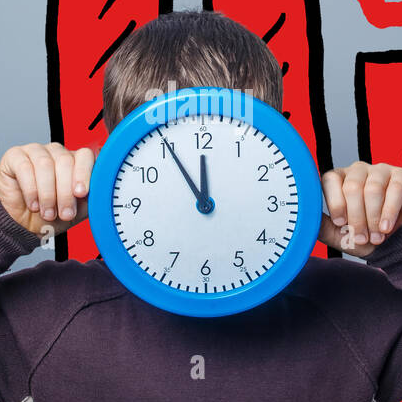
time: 11:54
